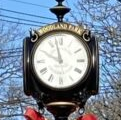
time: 9:57
